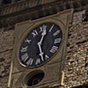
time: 12:26
